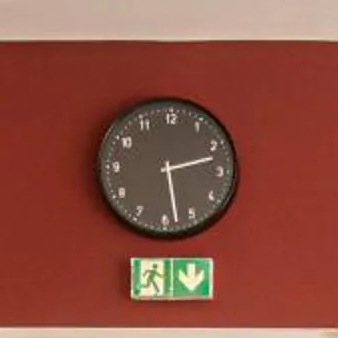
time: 2:28
